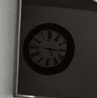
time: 5:15
